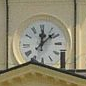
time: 12:07
